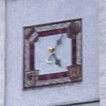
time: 5:05
